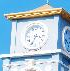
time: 3:34
